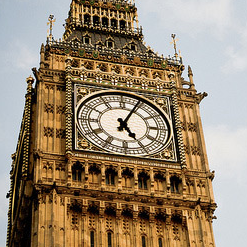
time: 5:04
